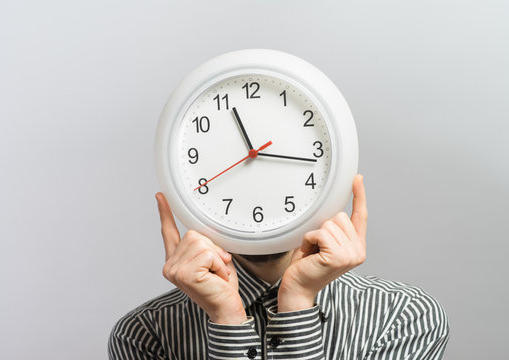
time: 11:16
